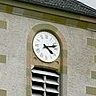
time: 4:12
